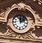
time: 12:07
